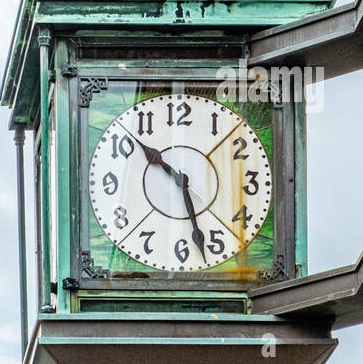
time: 10:27
